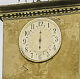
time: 6:00
